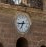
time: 6:43
